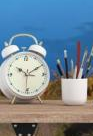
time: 10:10
